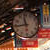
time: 11:43
